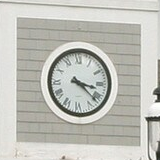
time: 3:21
